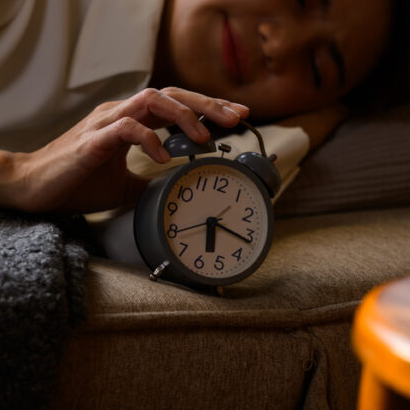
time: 5:16
